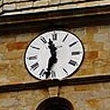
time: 11:32
